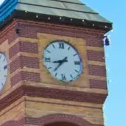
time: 8:37
